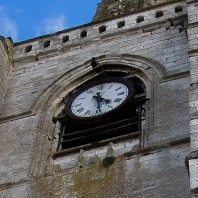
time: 4:29
